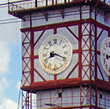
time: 8:18
